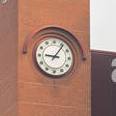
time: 9:06
